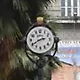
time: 2:40
